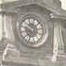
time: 9:33
